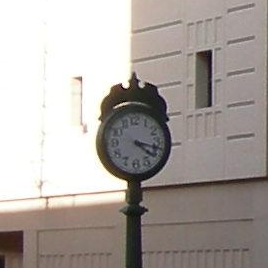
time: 4:17
